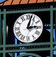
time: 3:02
